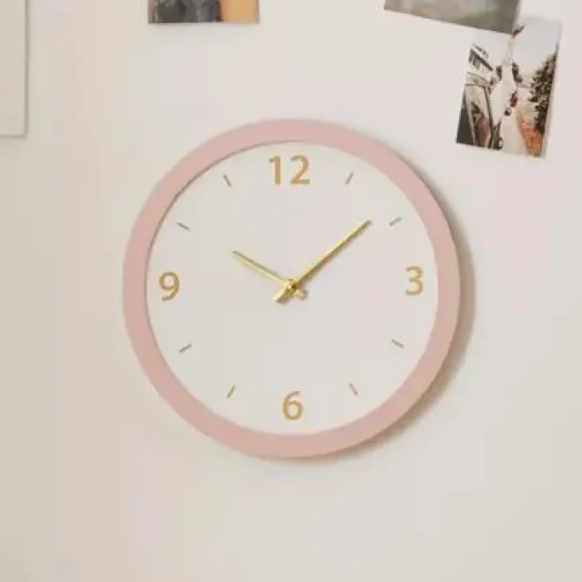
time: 10:08
